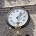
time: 1:28
